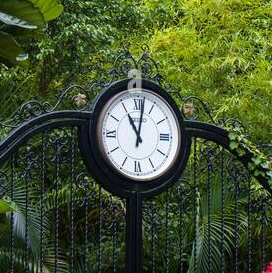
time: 11:01
